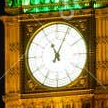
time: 11:04
